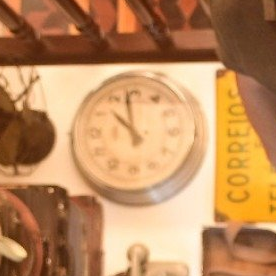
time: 10:58
